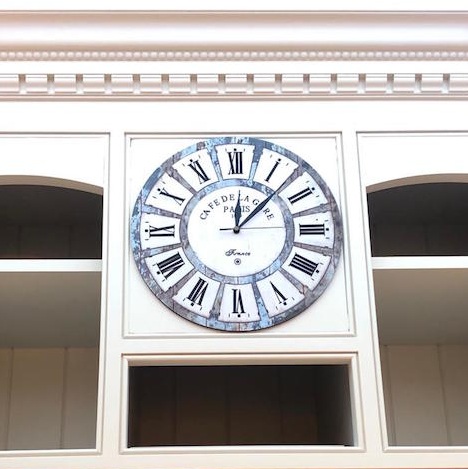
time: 12:07
